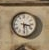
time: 3:28
